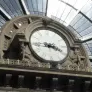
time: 3:44
